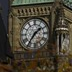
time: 1:36
